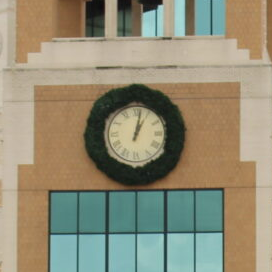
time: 1:02
